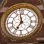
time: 6:58
